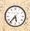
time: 5:36
